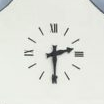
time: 2:30
